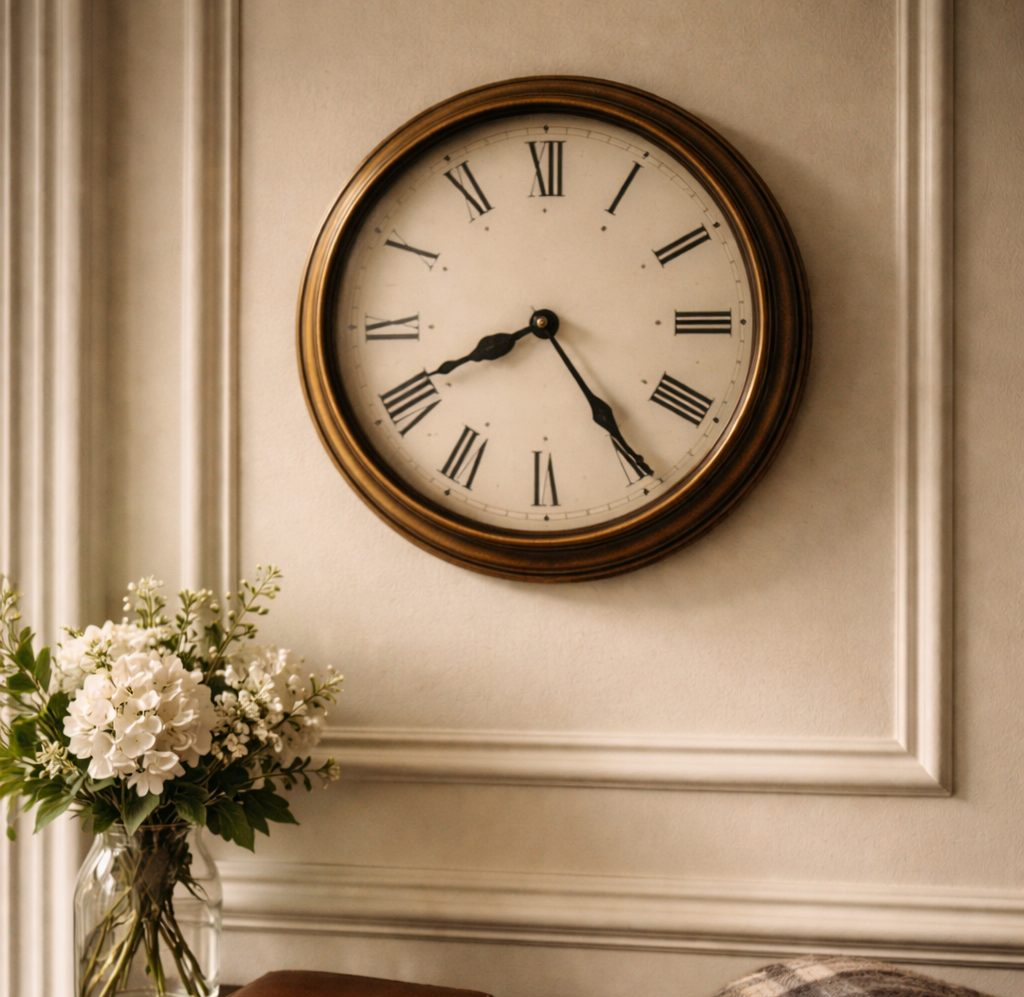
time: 8:24
